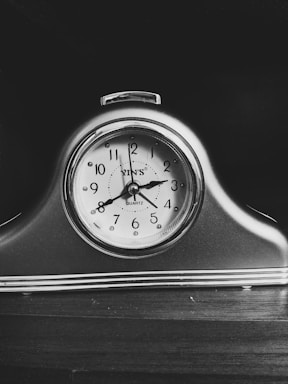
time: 2:40
